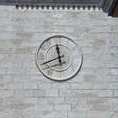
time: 11:41
